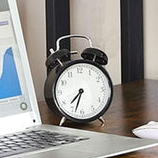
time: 7:33
